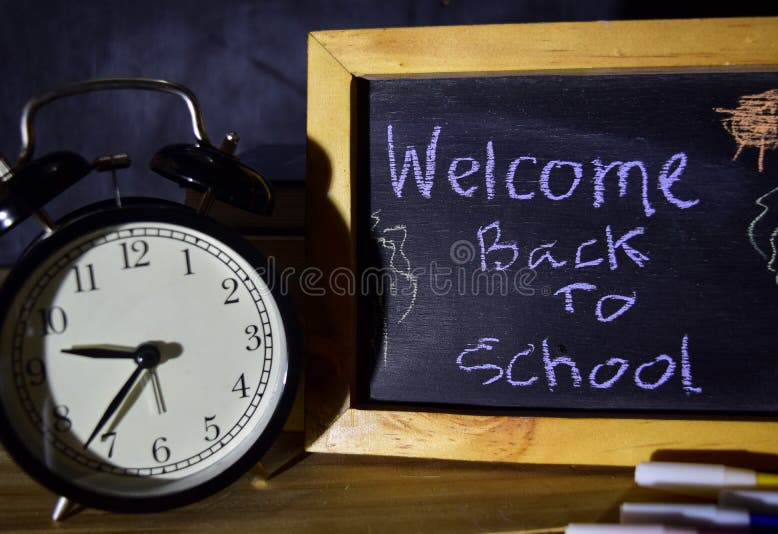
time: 9:36
